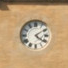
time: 4:09
